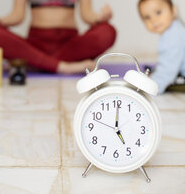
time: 5:00
